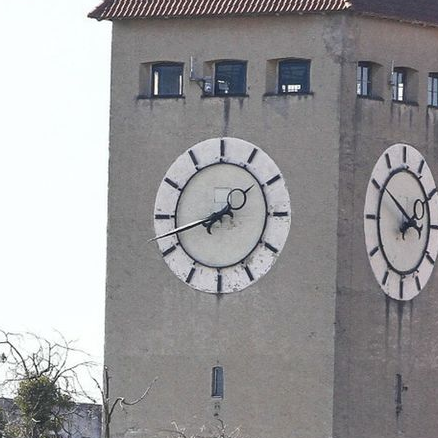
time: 7:41
